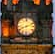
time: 8:12
